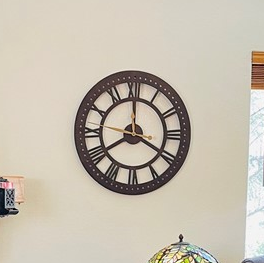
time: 7:59
